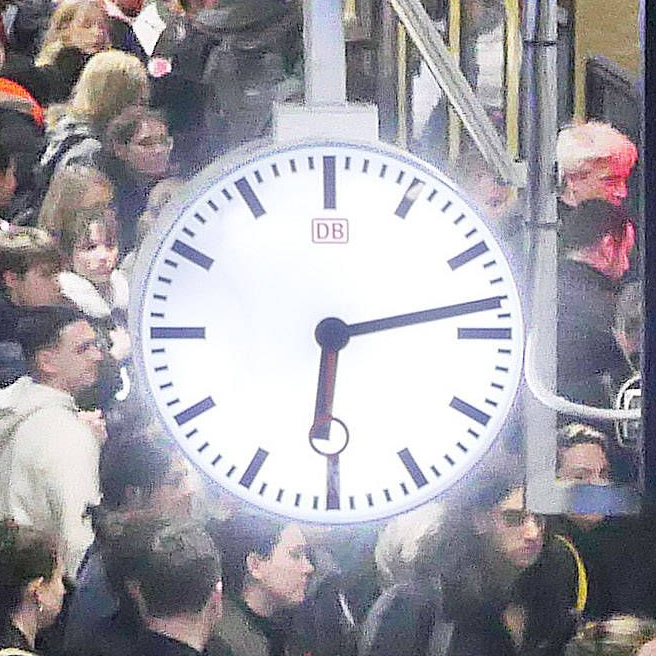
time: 6:13
